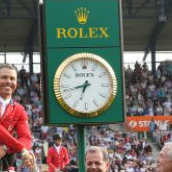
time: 6:42
